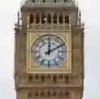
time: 12:10
